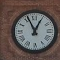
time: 12:56
